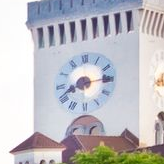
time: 8:14
